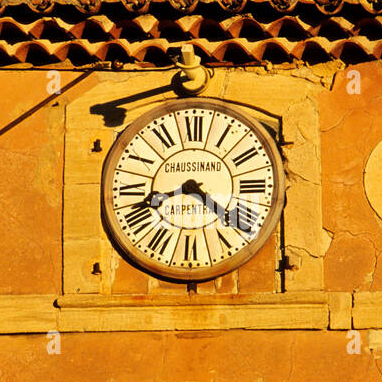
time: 8:21
